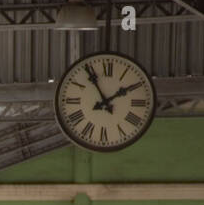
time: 1:54
